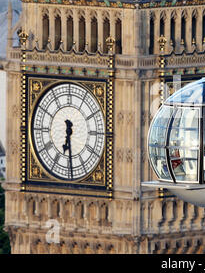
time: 6:29
